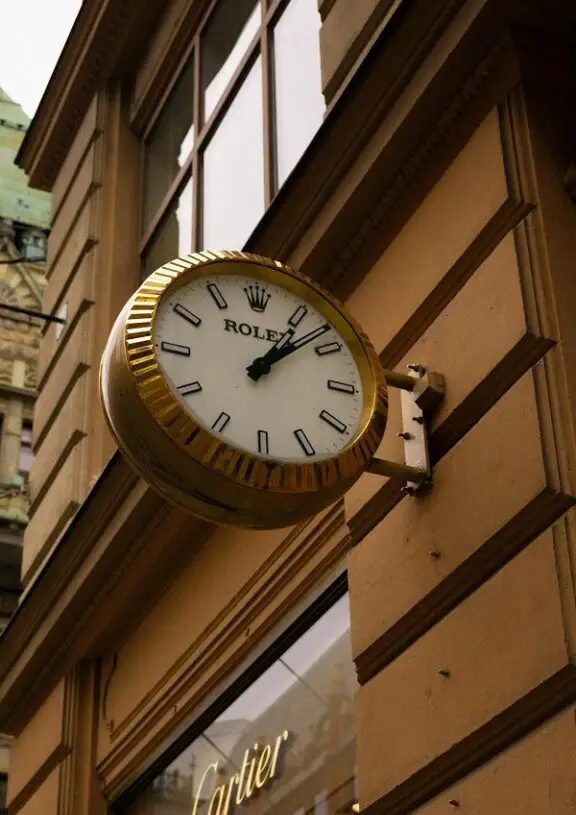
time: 1:08
